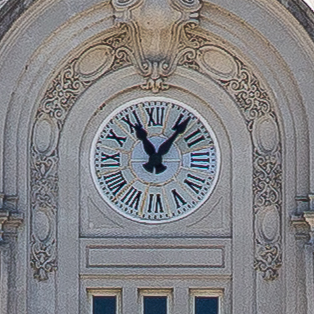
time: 11:06
